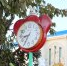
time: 8:34
